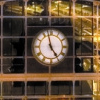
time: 4:57
